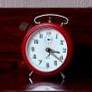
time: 3:21
